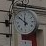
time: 11:51
